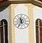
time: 11:35
